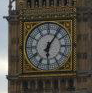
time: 6:06
